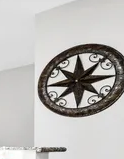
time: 1:14
